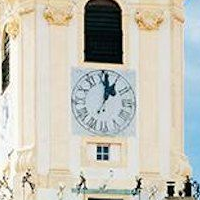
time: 1:01
